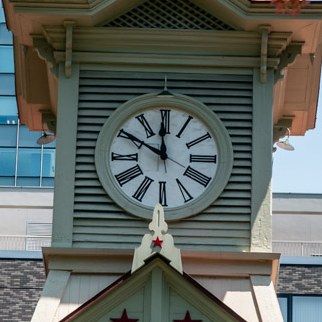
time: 11:50
